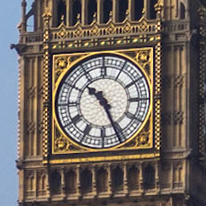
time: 10:26
